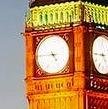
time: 4:45
